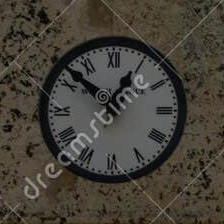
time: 12:52
